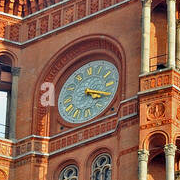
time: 4:18
